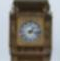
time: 1:16
